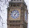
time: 7:07
